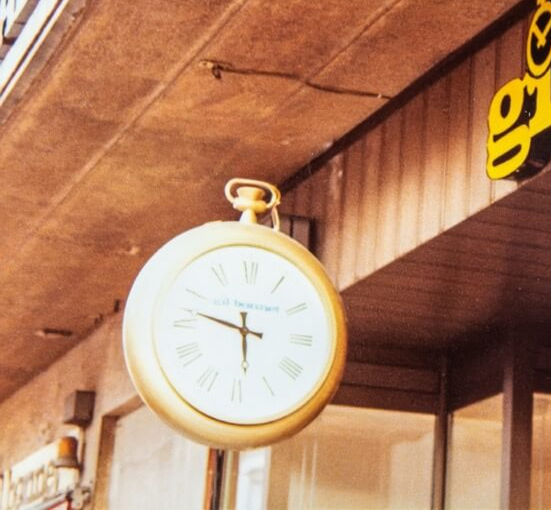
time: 5:47
